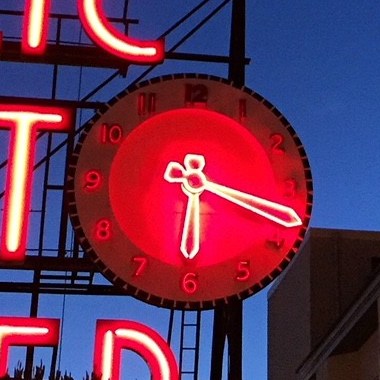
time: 6:18
